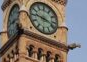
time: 9:18
